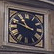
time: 10:47
